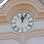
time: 12:04
